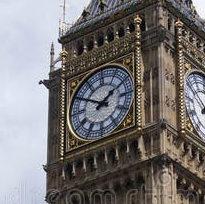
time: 1:50
